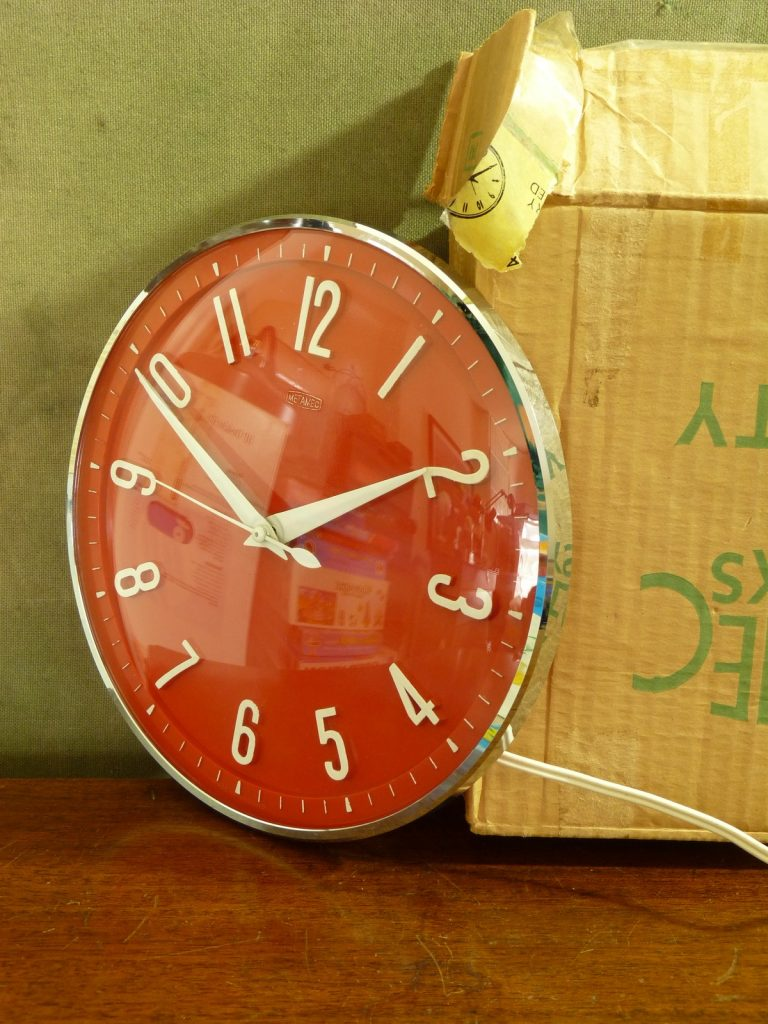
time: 1:49
